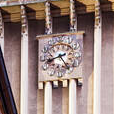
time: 4:42
